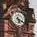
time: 5:18
